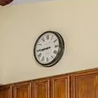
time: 8:44
